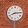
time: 8:14
